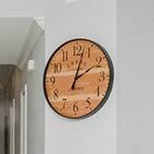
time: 2:02
